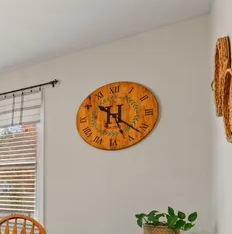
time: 5:21
